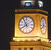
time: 7:55
